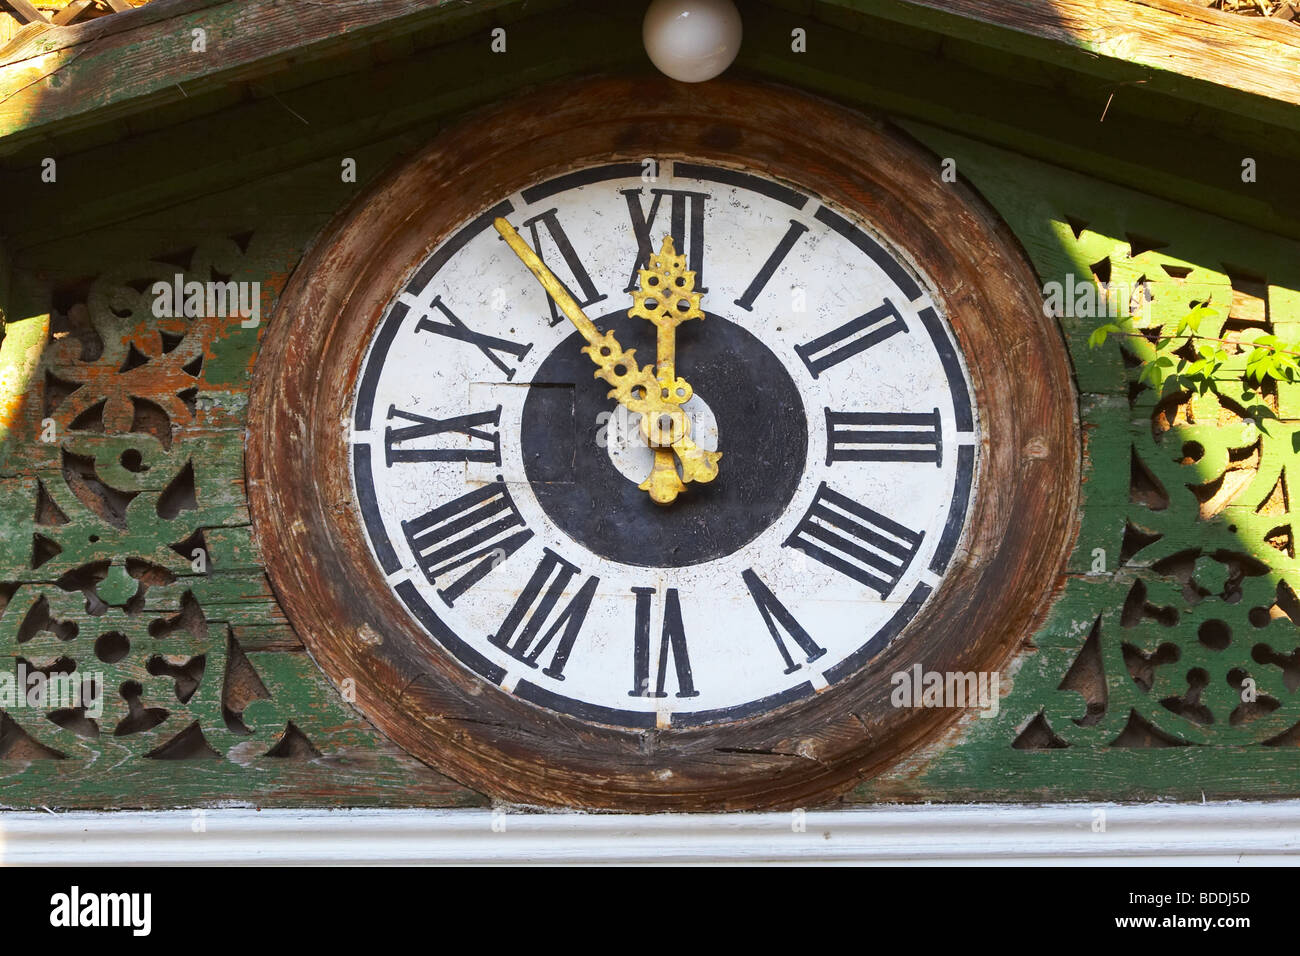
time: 11:55
